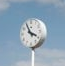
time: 3:55
